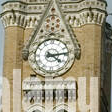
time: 4:13
